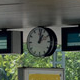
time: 1:01
